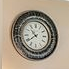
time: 10:39
